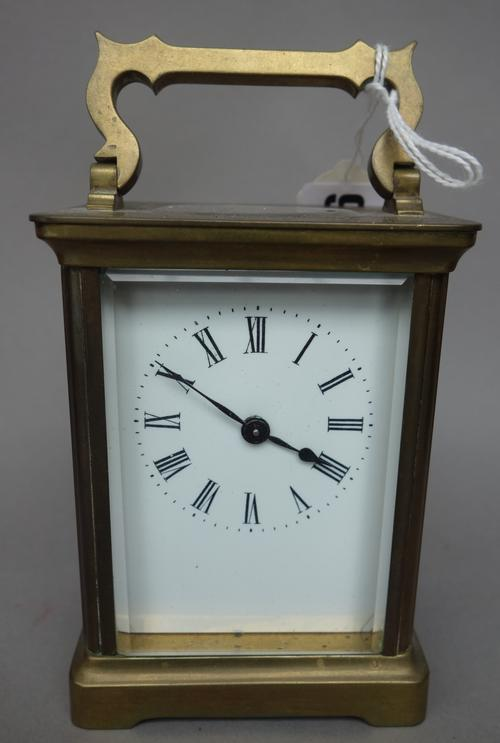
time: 3:50
